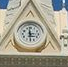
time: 11:29
